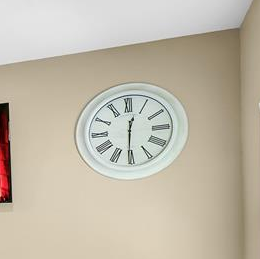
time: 12:30
